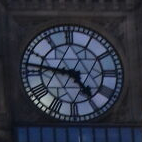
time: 4:46
